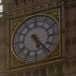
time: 5:23
